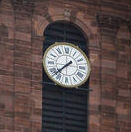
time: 1:37
